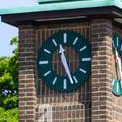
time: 11:26
